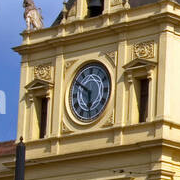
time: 5:50
